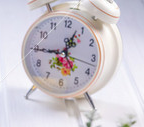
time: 12:44
